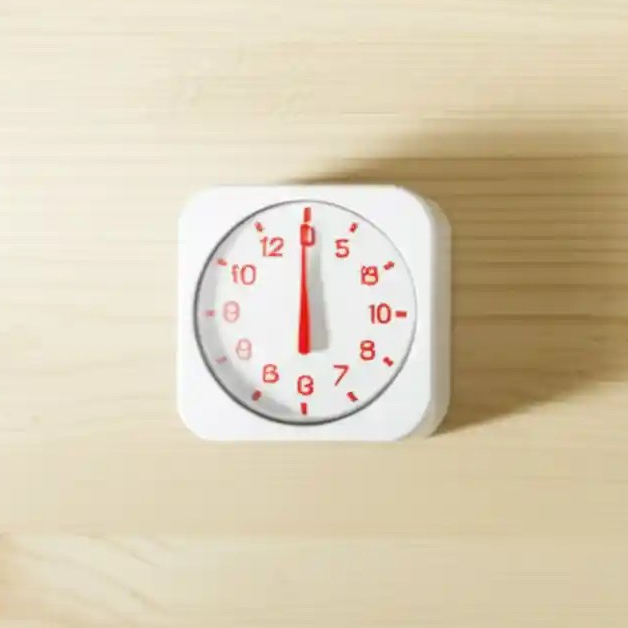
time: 5:59
